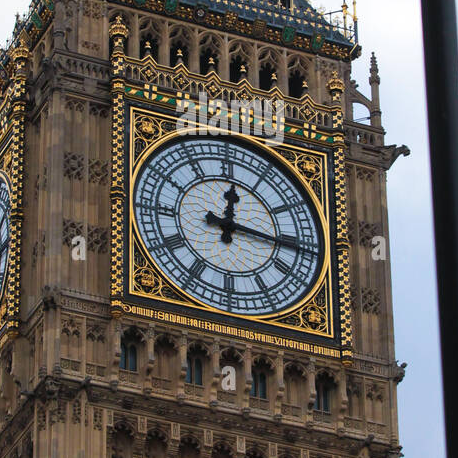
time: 12:16
